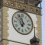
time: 6:56
